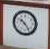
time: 10:24
